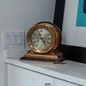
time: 11:23
